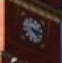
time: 4:16
